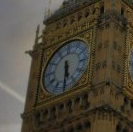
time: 5:30
